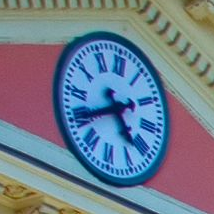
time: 4:40
